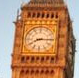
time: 8:15
